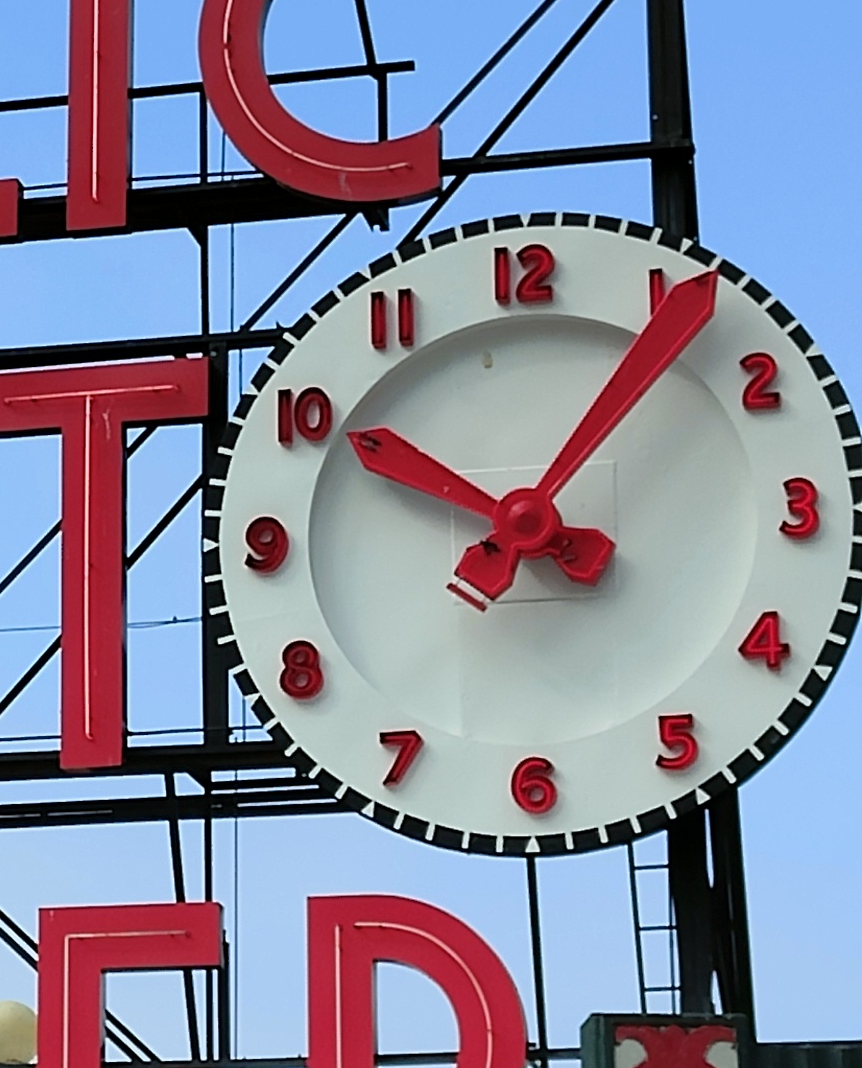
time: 10:06
